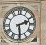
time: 2:29
